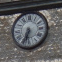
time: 6:34
